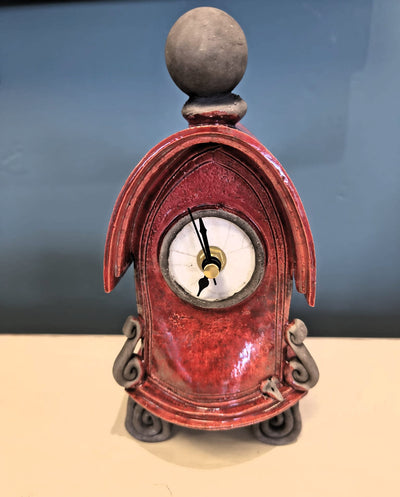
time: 6:56
